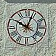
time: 10:03
